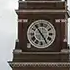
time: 4:53
